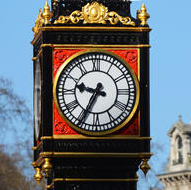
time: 9:34
